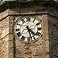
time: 4:27
